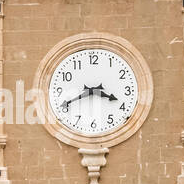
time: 3:40
